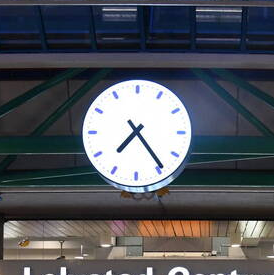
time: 7:24
